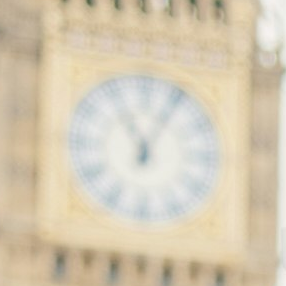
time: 11:04
